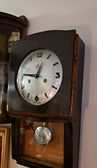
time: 12:46
